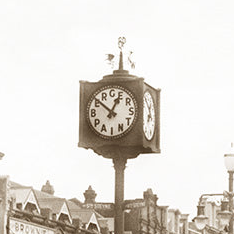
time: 12:51
